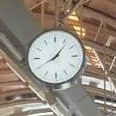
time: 8:06
